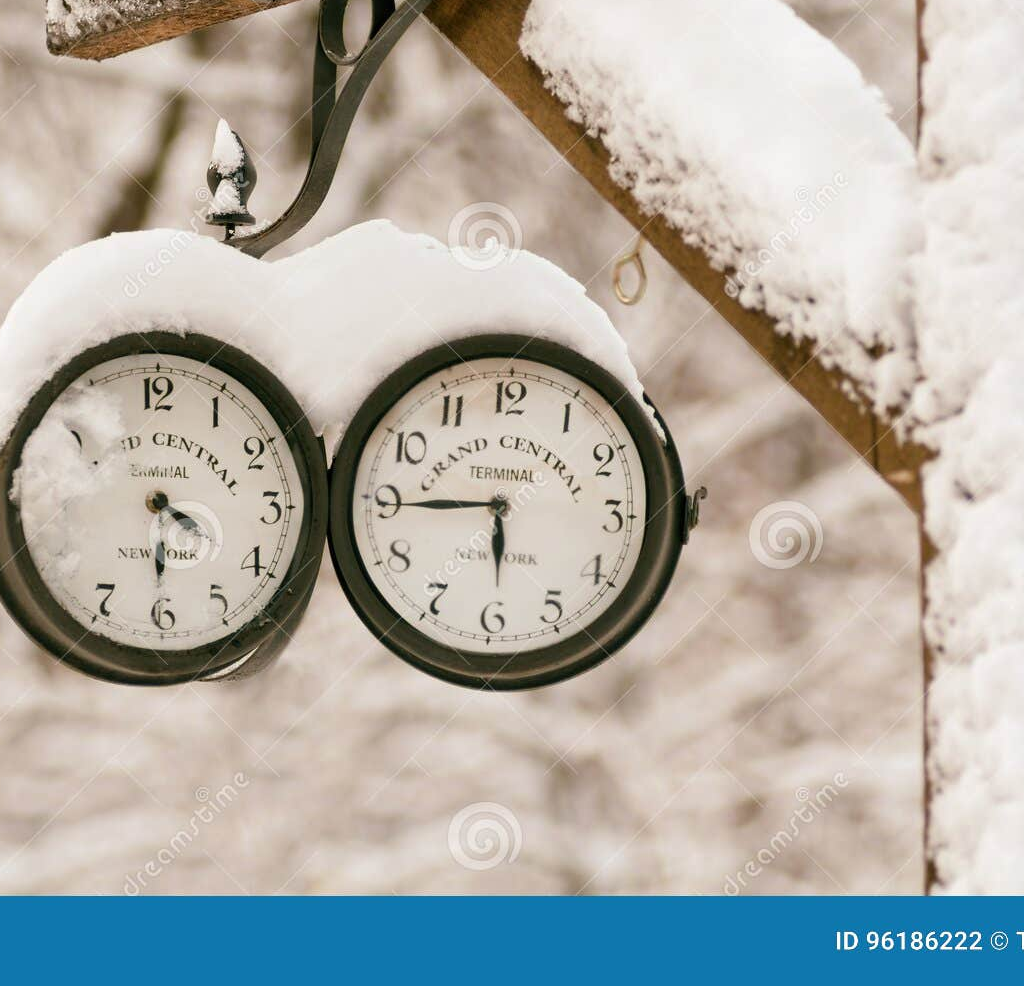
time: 5:44
